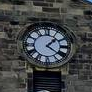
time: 1:21
